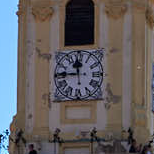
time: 11:44
